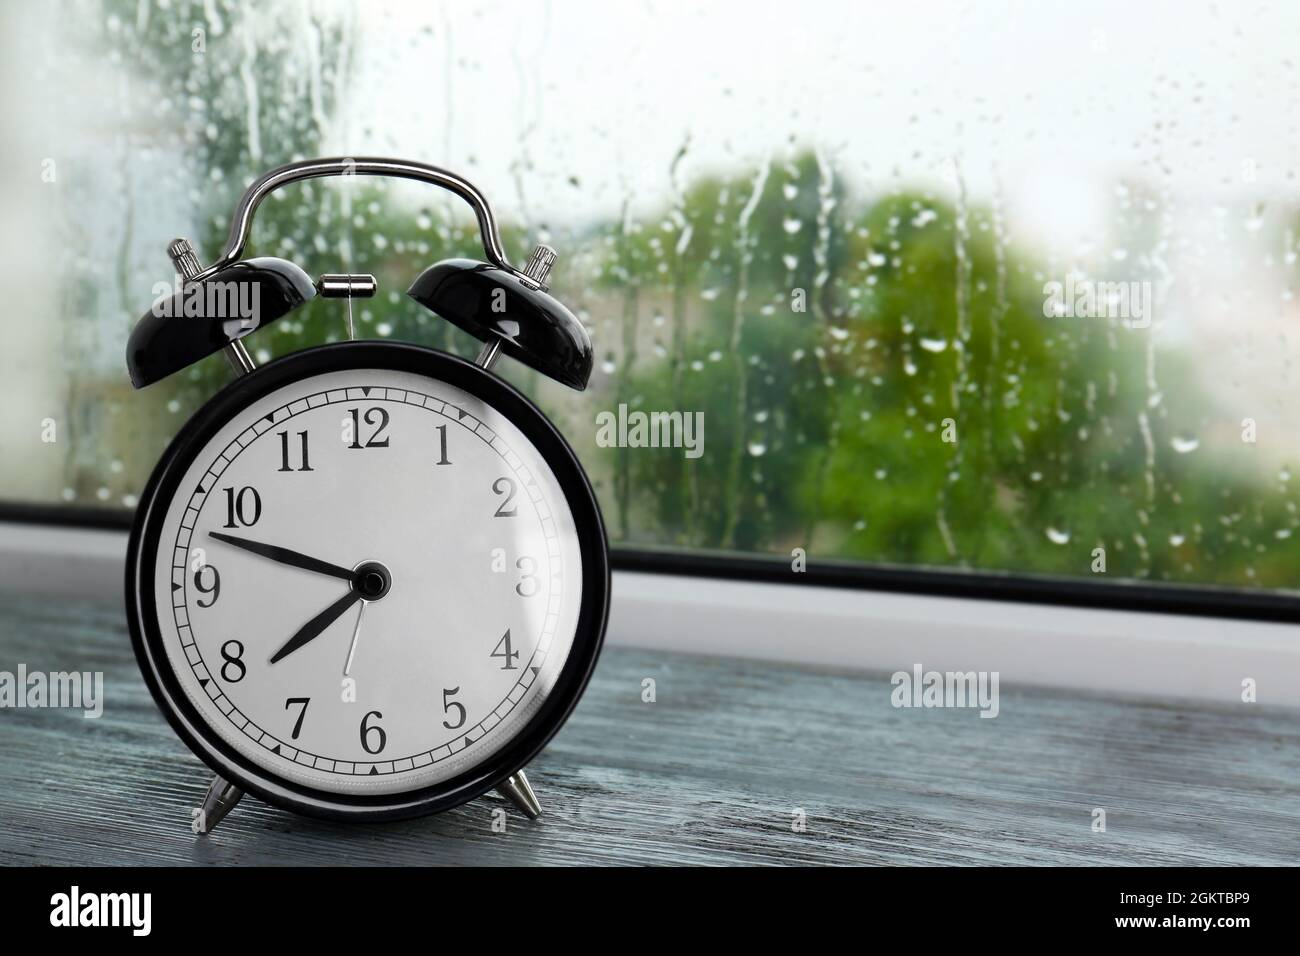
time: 7:47
